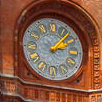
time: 2:07
